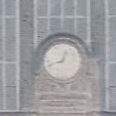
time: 12:41
